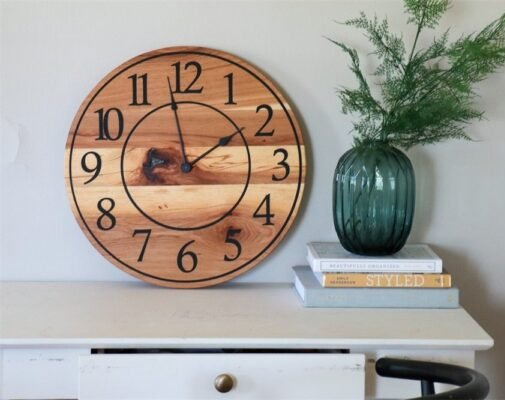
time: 1:58
